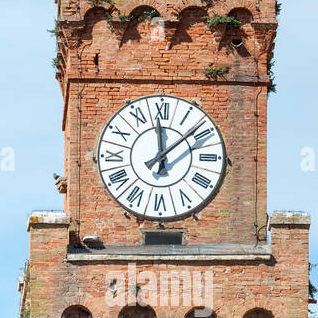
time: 11:58
